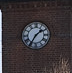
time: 1:35
